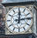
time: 12:13
